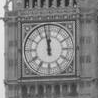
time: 11:58
